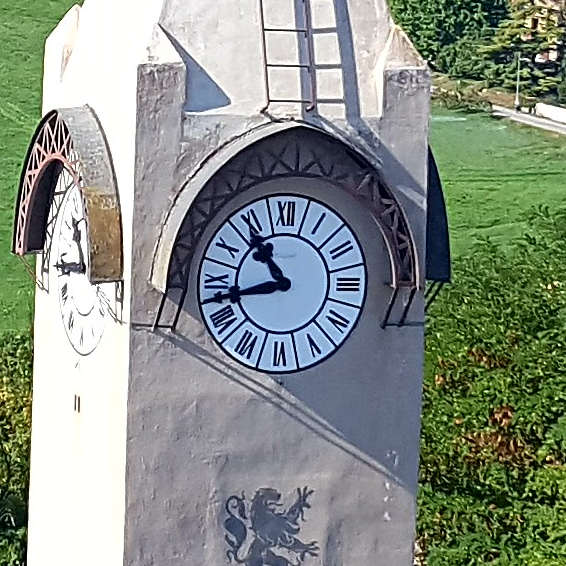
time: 10:42
